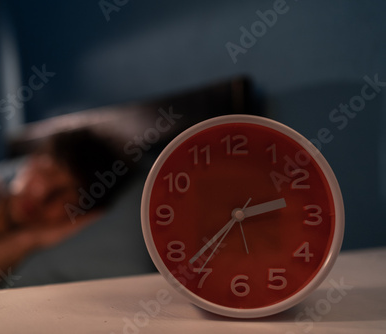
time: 2:37
